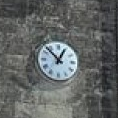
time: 12:52
